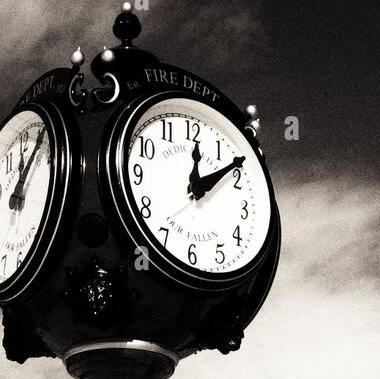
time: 12:08
